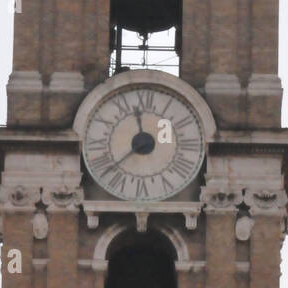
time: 11:38
